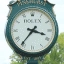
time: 3:36
